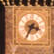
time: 3:35
